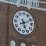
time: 5:11
